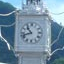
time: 10:42
